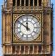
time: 11:51
